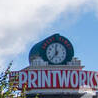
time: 11:36
